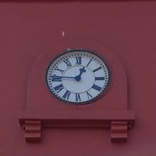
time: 12:46
